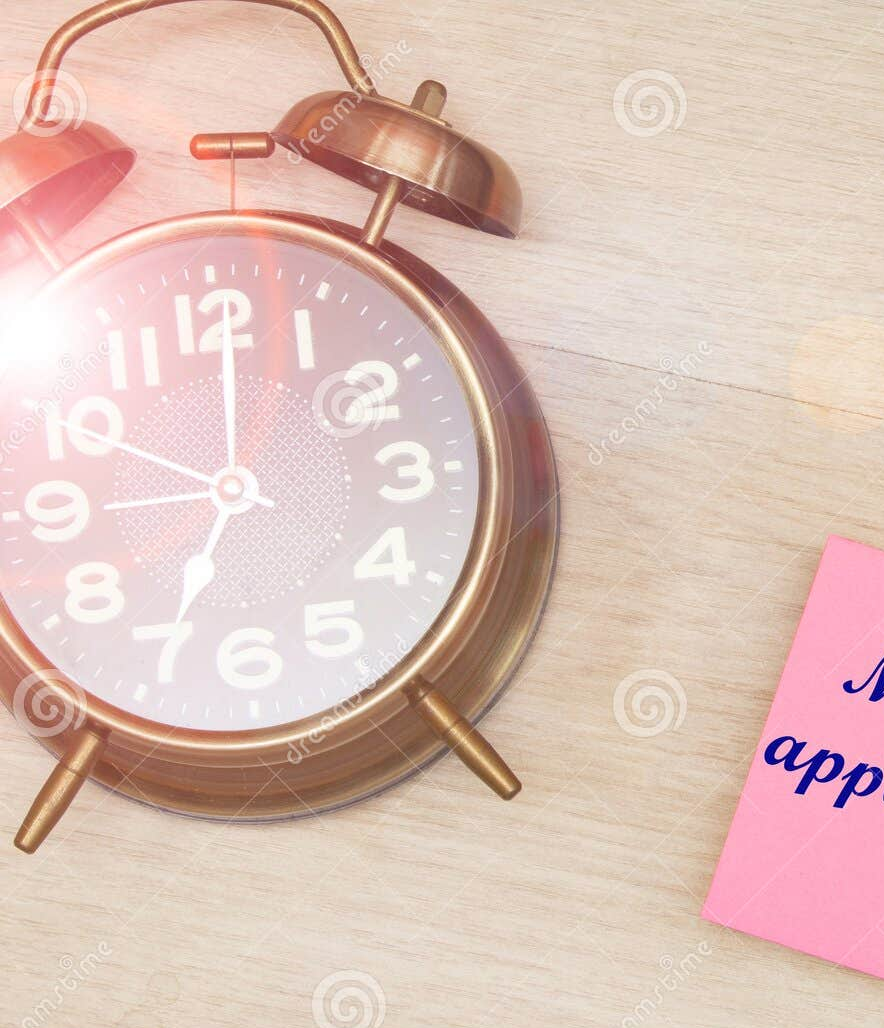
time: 7:00
